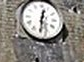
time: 12:29
